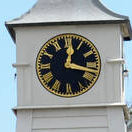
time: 12:17
